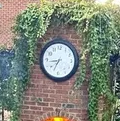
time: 8:34
